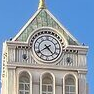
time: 4:39
